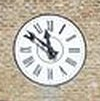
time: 11:51
